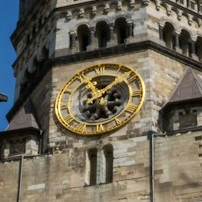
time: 11:07
